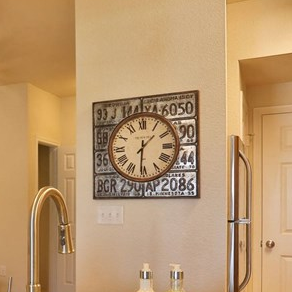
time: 1:31
